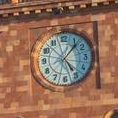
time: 5:06
